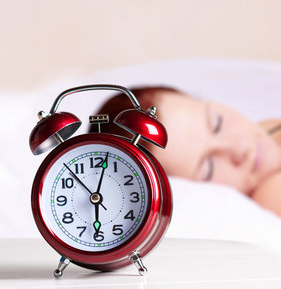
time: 6:02
